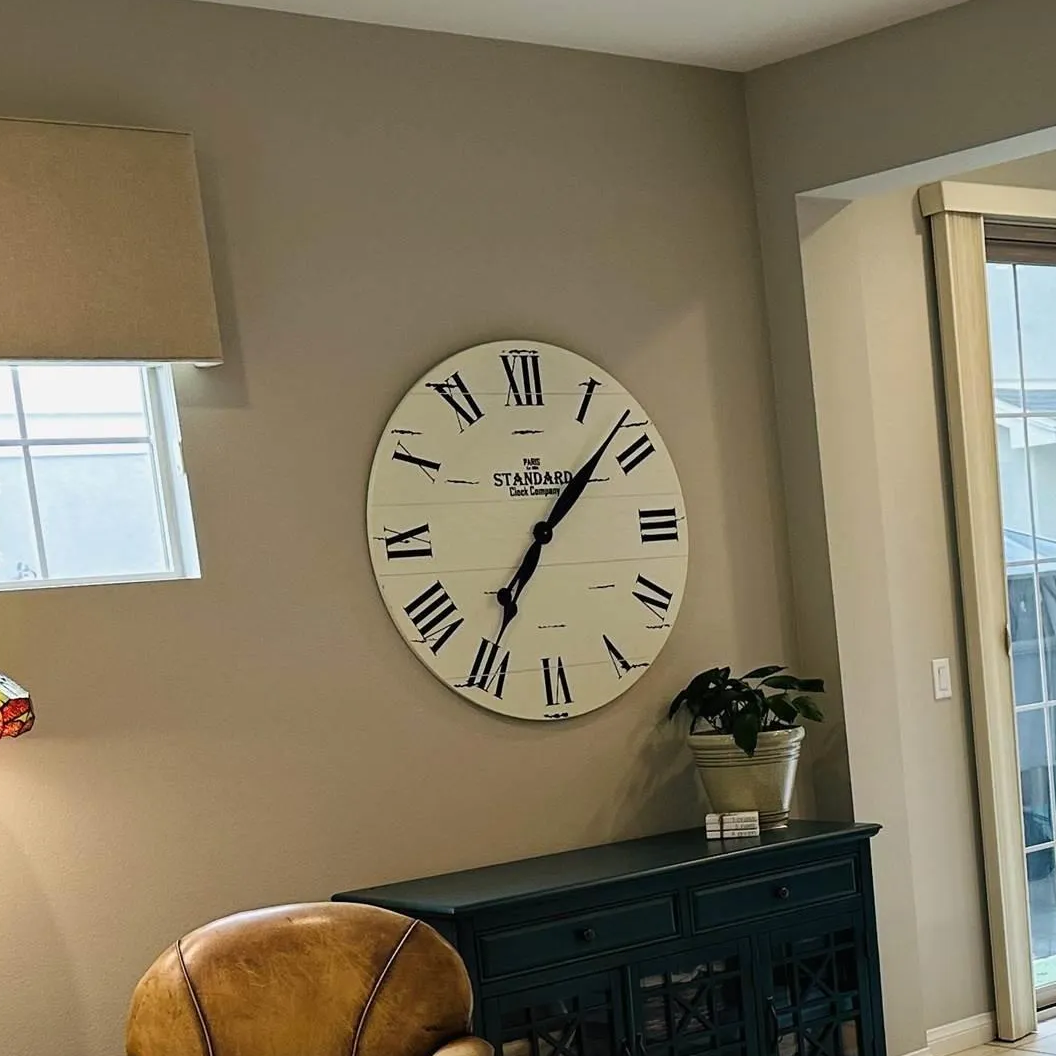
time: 7:07
